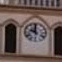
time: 9:59
